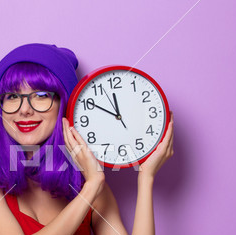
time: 11:50
